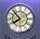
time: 7:52
